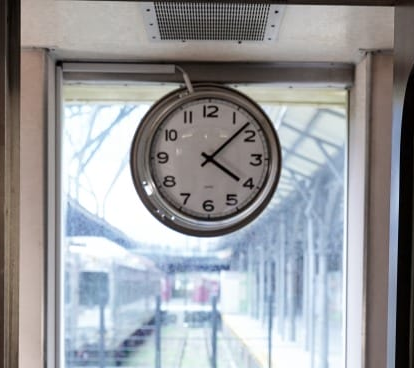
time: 4:07
